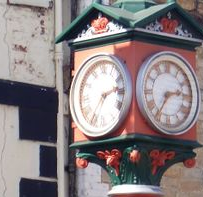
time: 2:36
